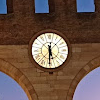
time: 5:30
